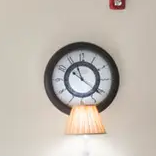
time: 11:21
